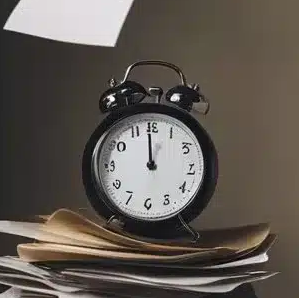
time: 11:59
